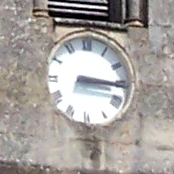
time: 3:15
